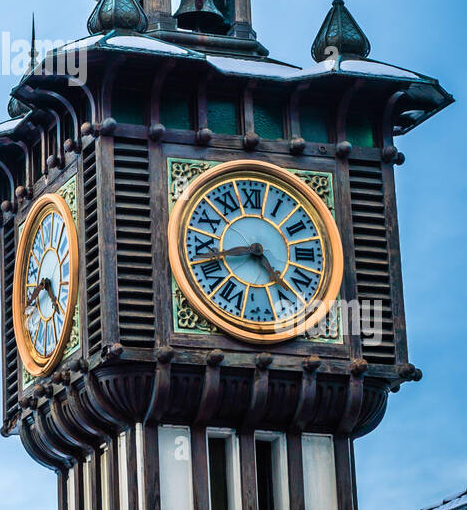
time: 4:42
